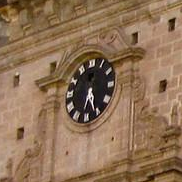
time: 6:26
